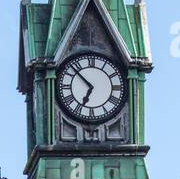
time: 6:52
